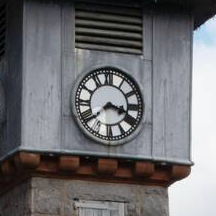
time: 3:38
